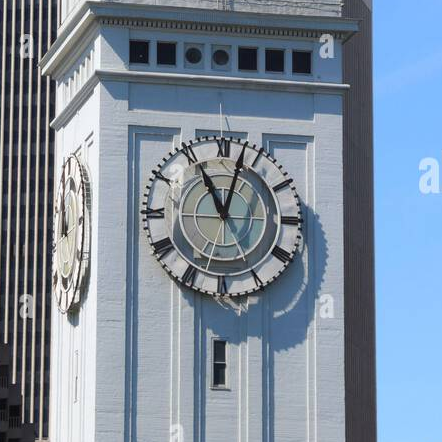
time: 11:02
